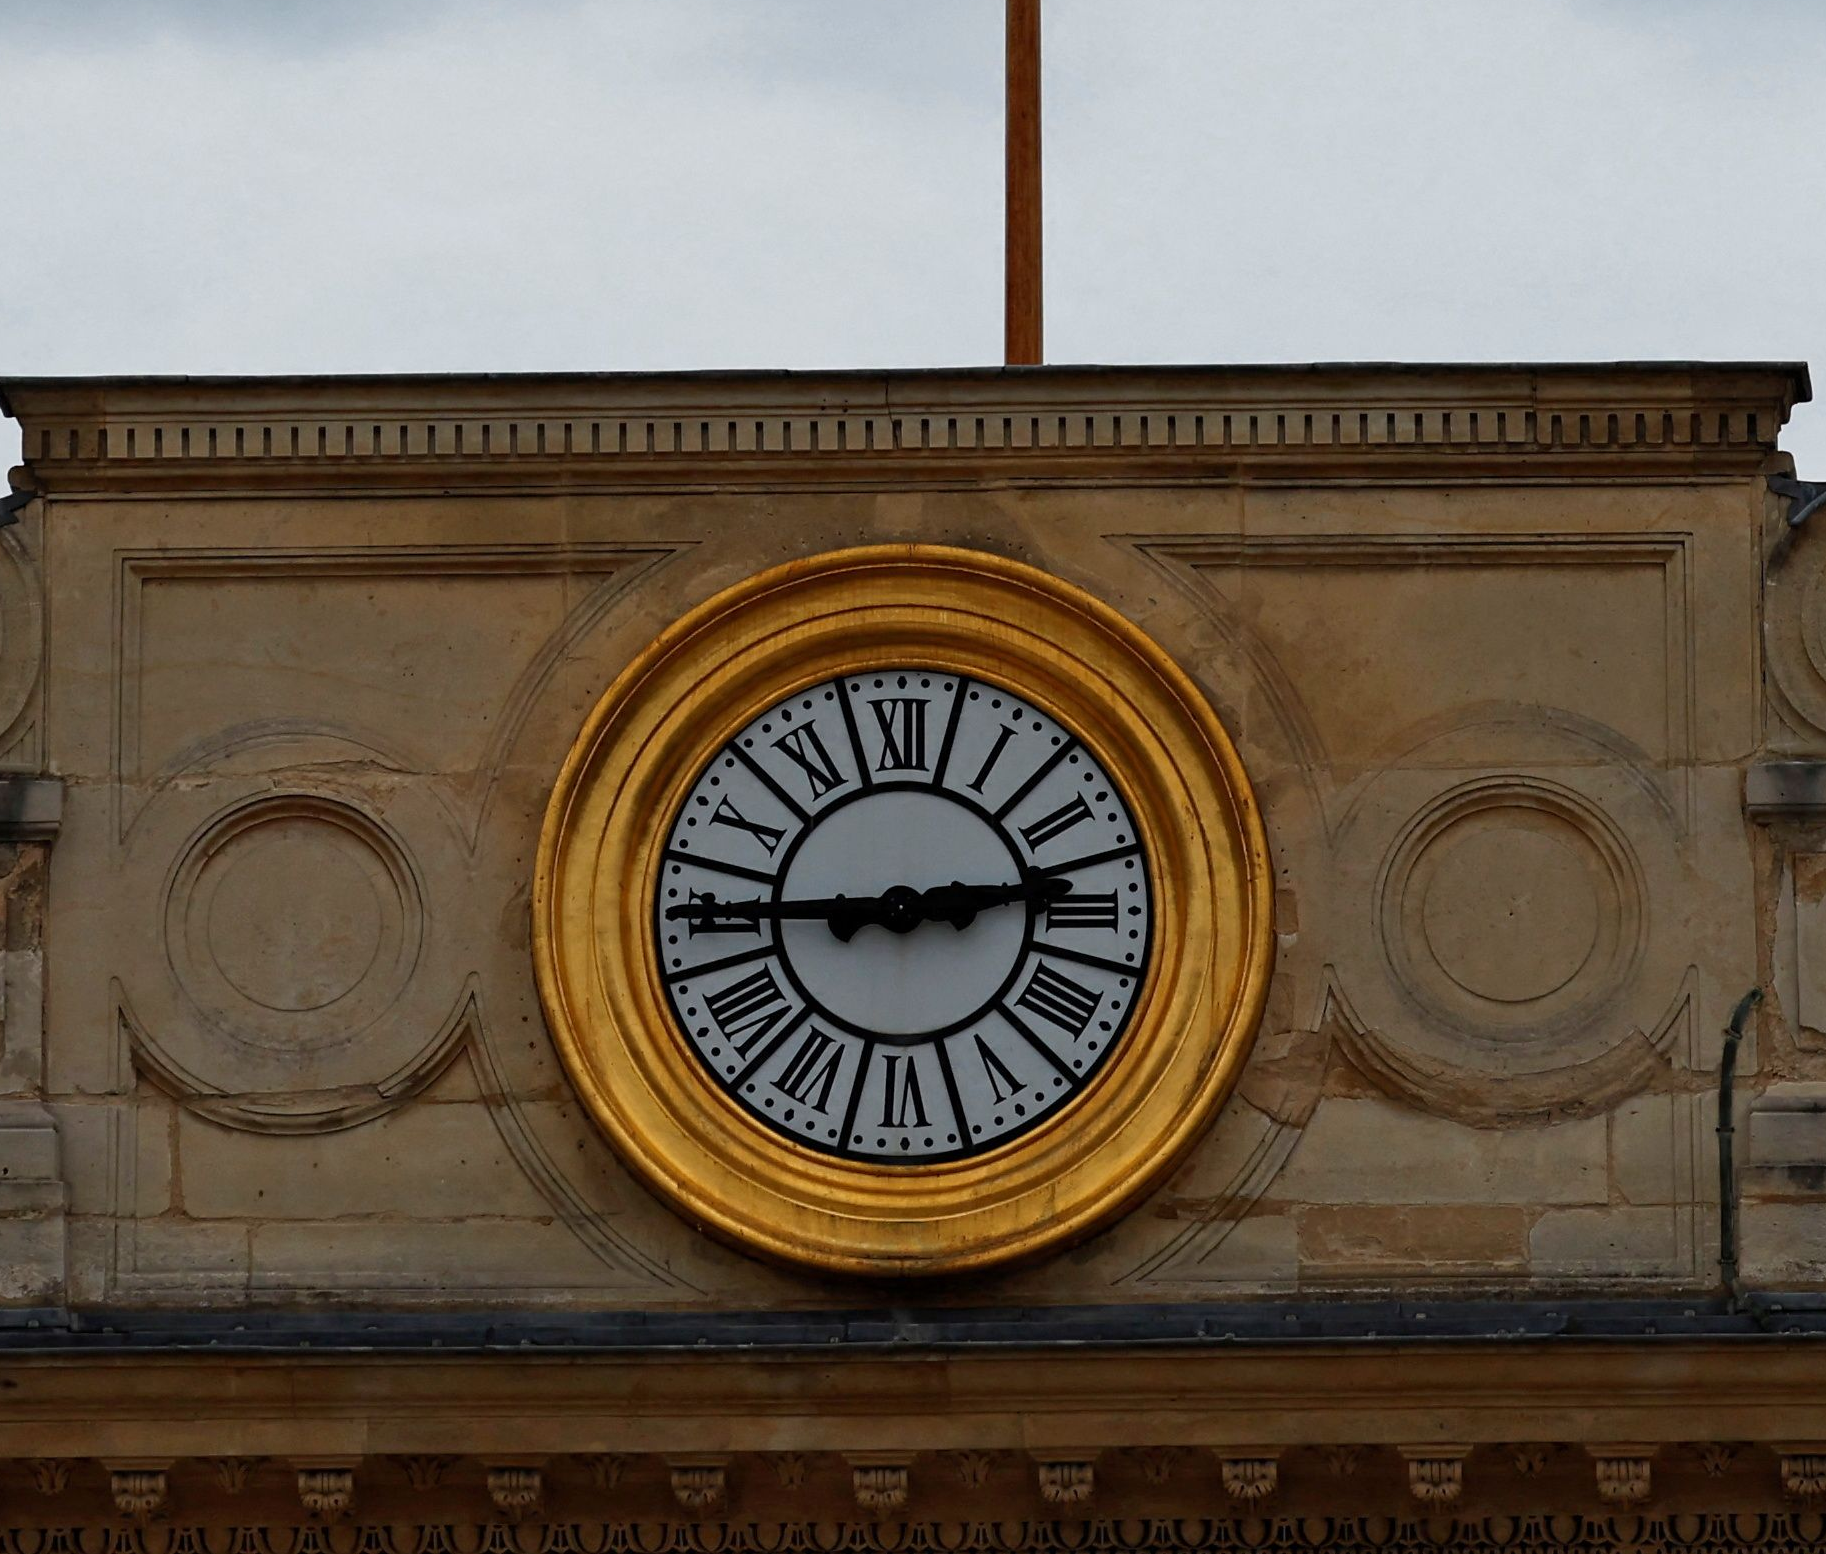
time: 2:45
